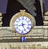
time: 8:26
